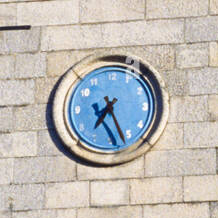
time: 7:26
